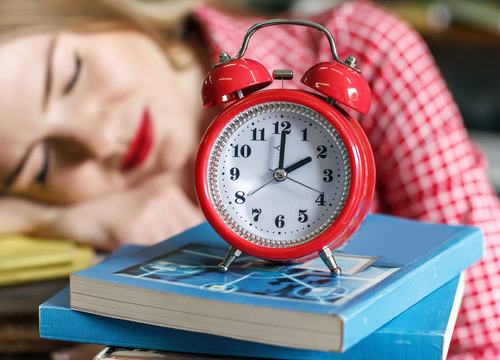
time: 2:00
